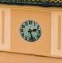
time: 2:27
